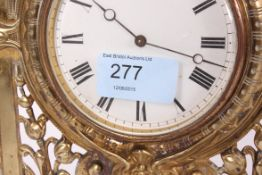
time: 10:17
